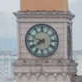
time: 7:48
